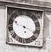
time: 5:18
